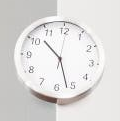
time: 10:26
